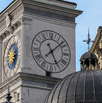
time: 5:08
